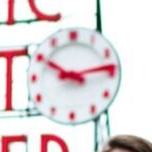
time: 10:13
